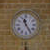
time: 11:24
